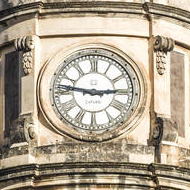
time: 2:46
